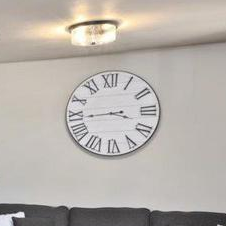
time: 3:44
